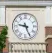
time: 9:26
